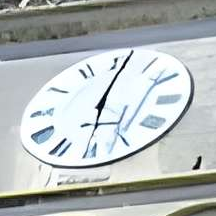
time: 6:01
